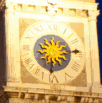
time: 6:14
